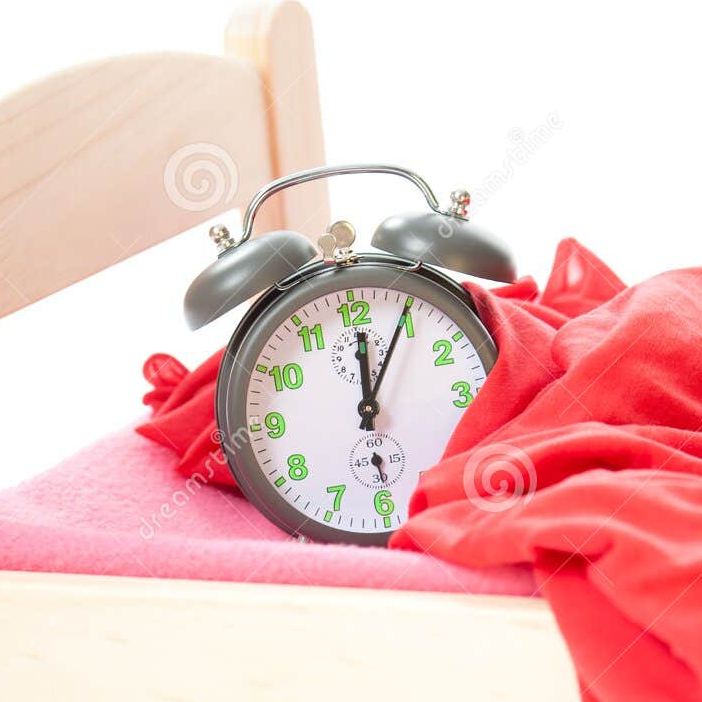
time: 12:04
